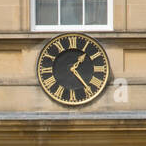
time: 1:23
